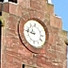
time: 8:46
